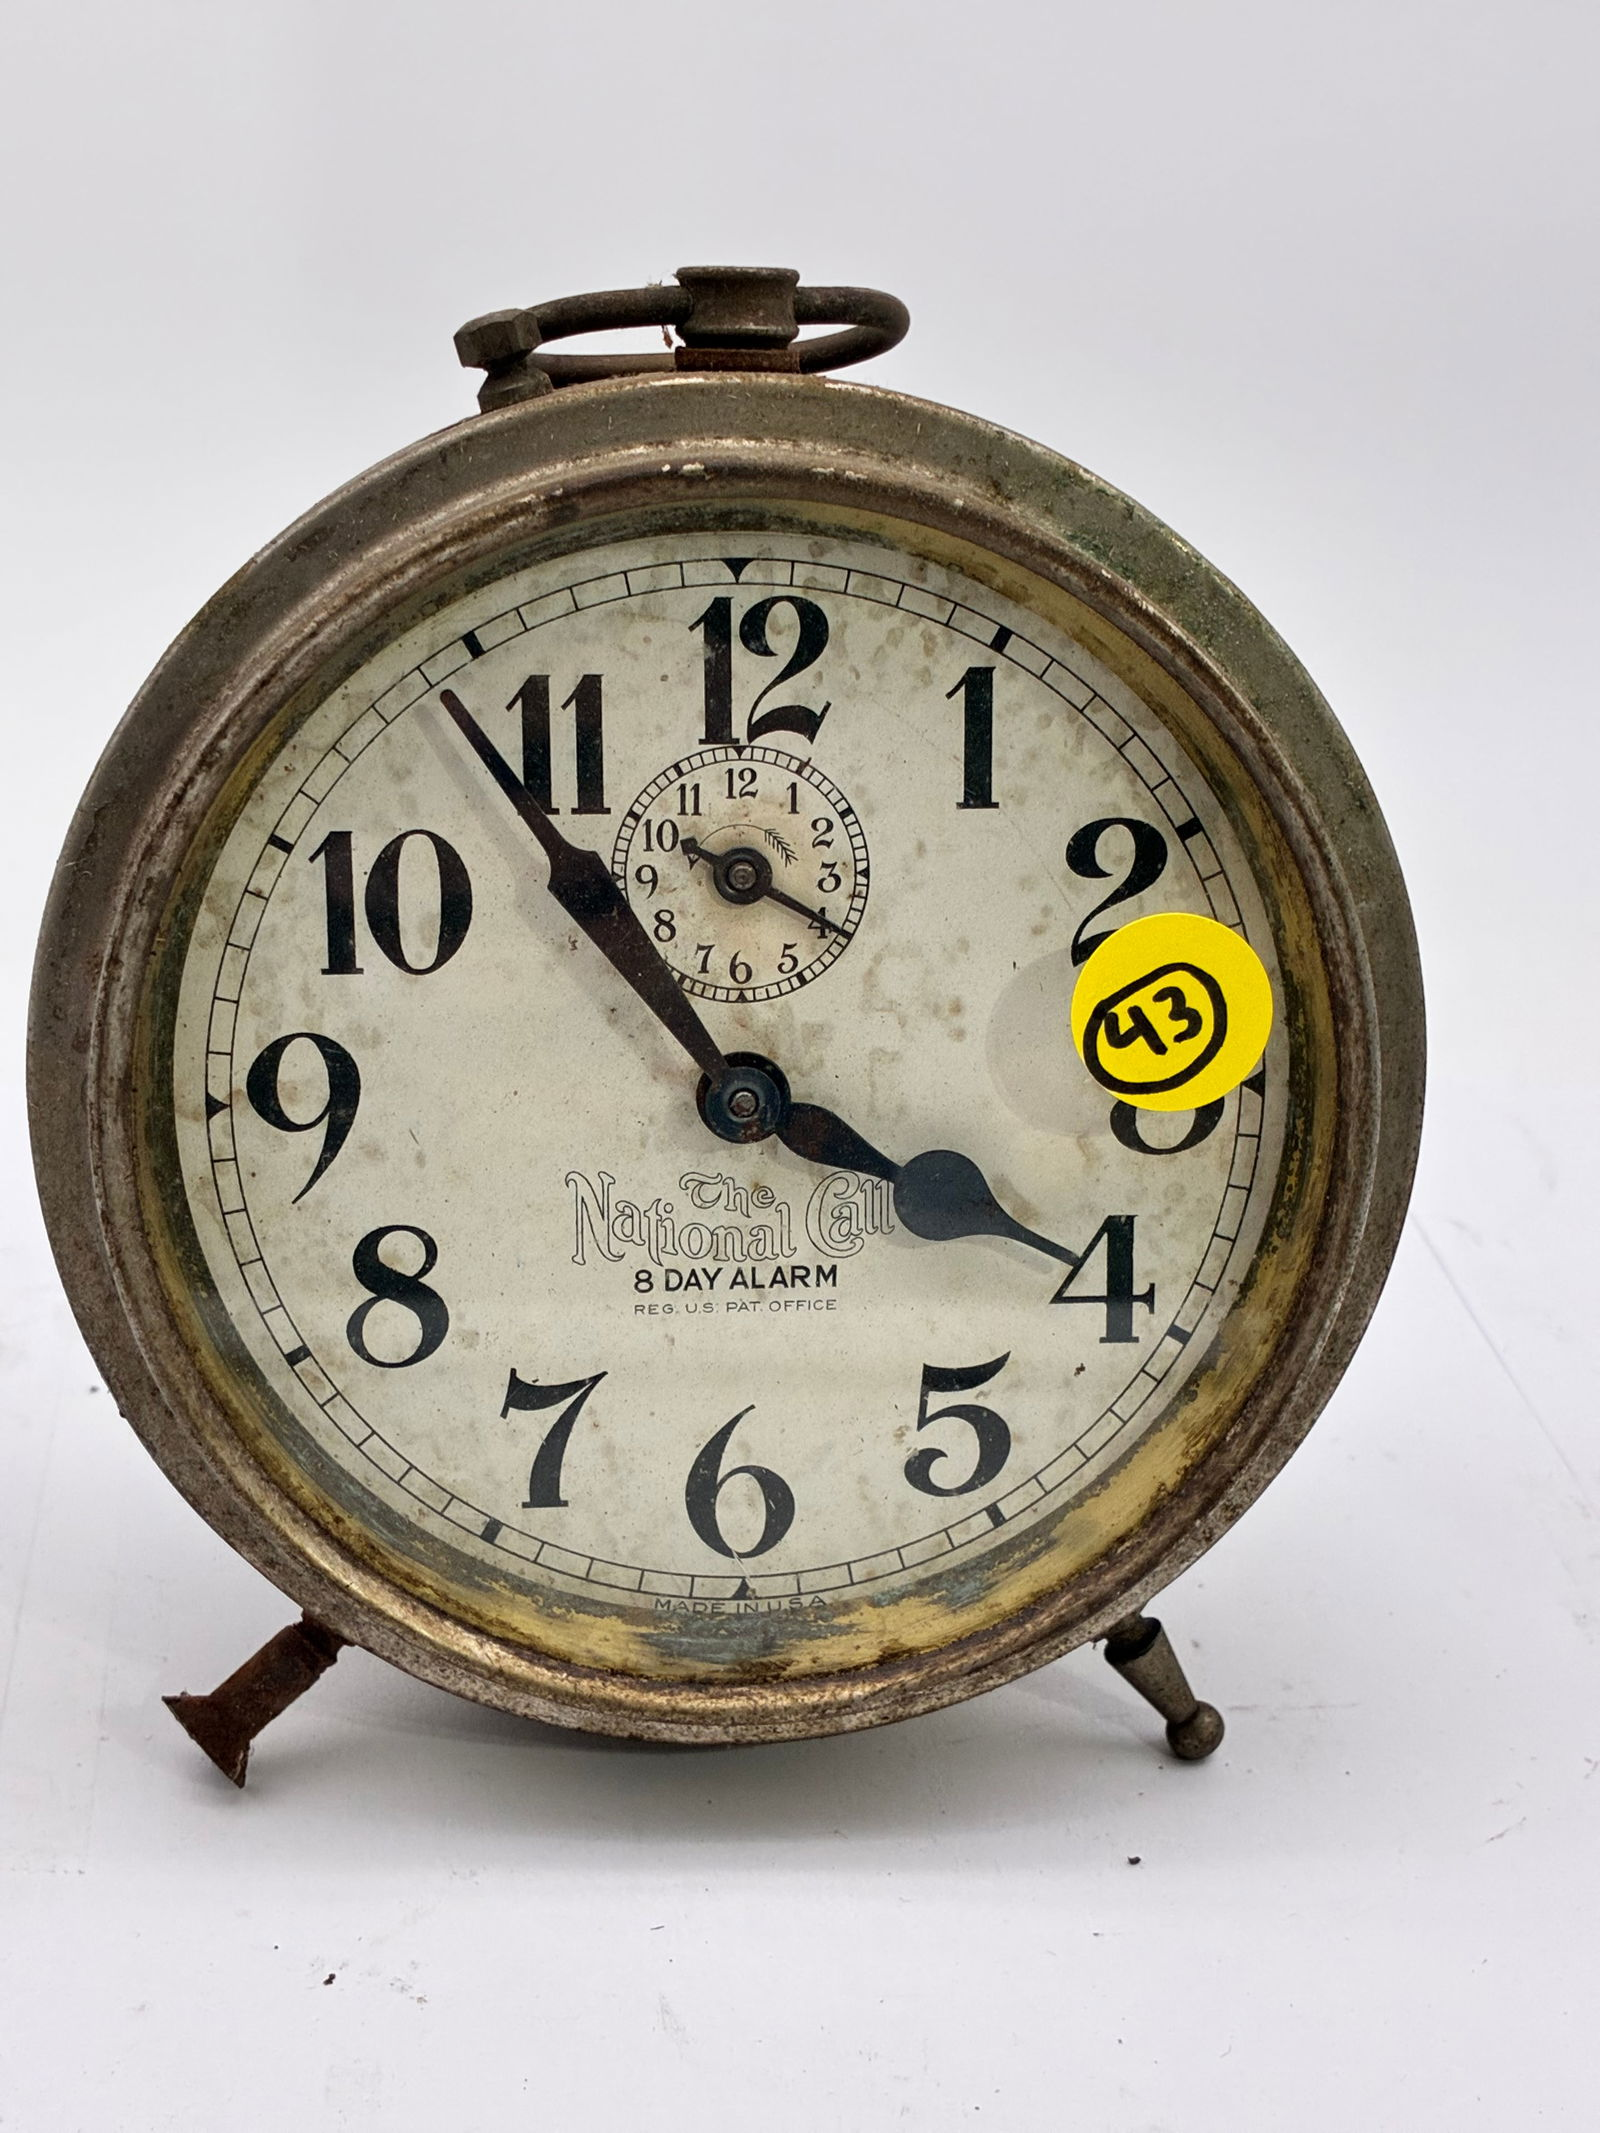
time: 3:53
